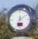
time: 7:09
